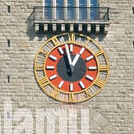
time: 12:57
